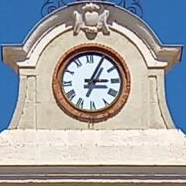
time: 3:05
